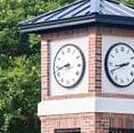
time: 8:42
